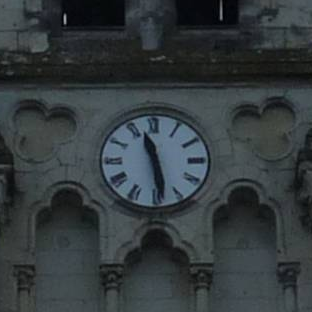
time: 11:28
